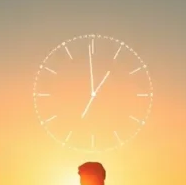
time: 12:59
